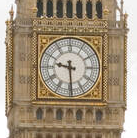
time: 9:29
